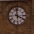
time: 3:58
